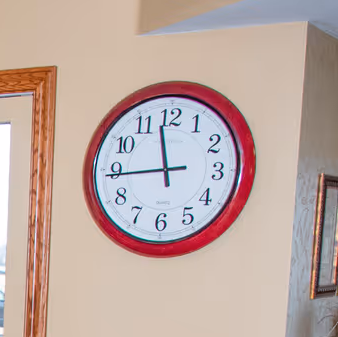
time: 11:44
